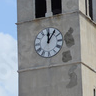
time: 12:05
